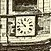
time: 10:43
